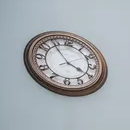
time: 3:54
